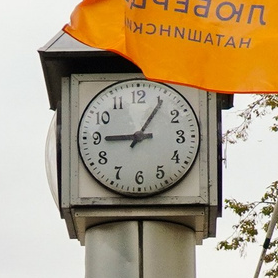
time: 9:05
